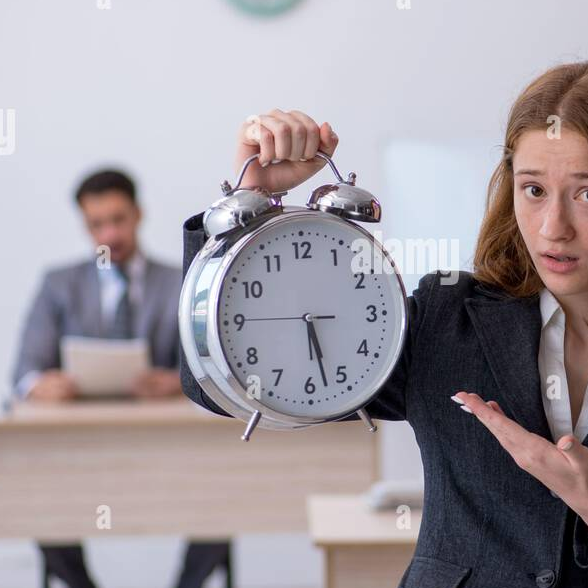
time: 5:27
